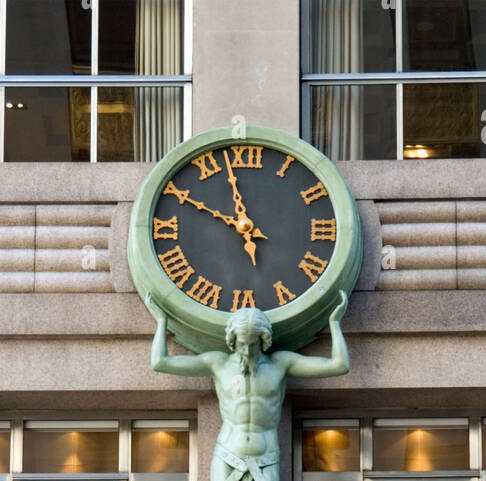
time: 9:57
